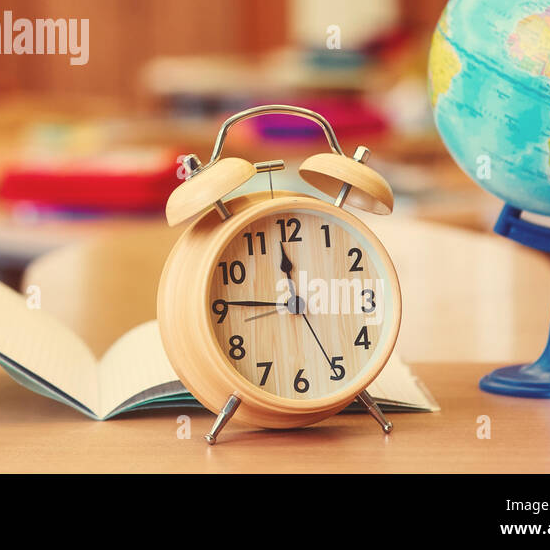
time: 11:45
